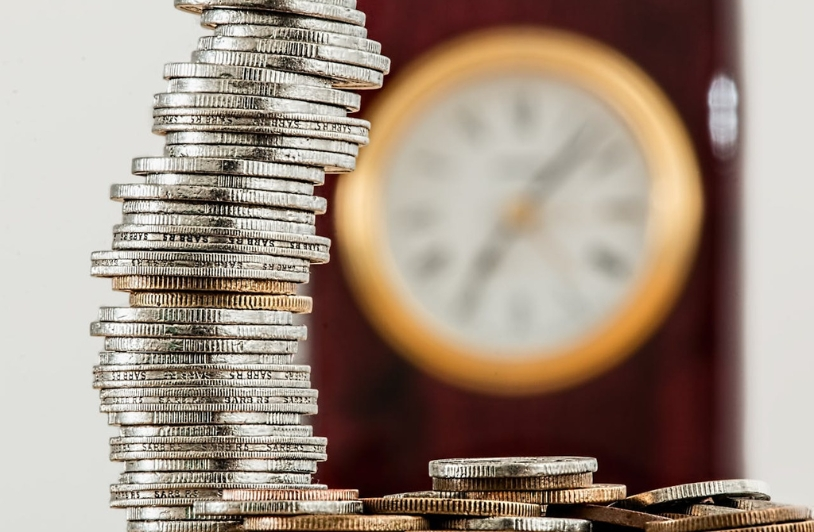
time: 7:07
